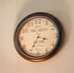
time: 3:34
